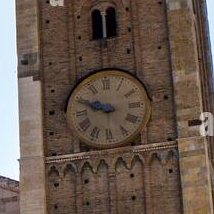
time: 9:48
